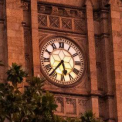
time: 5:36
